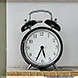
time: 5:34
